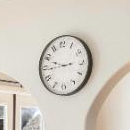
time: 9:44
